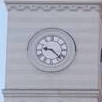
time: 9:22
